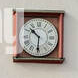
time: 10:30
